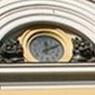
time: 12:10
